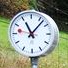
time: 11:07
